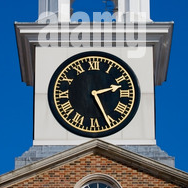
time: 2:26
